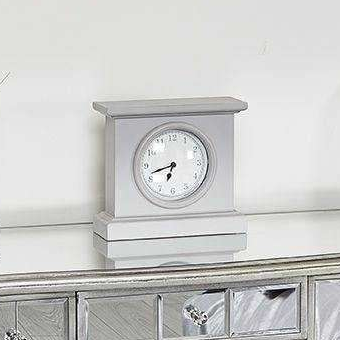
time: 6:42
